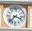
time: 3:37
